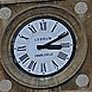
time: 3:10
